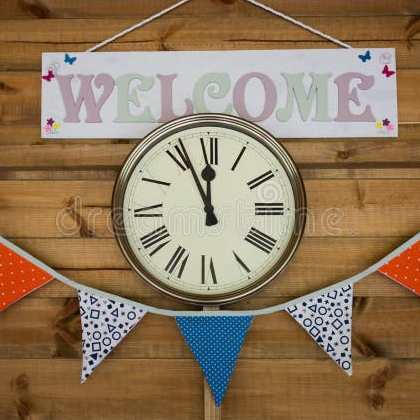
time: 11:55
